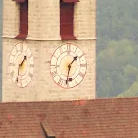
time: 1:32
